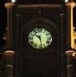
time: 10:28
